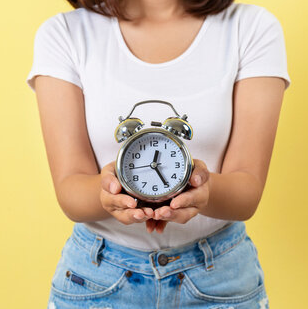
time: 12:24
